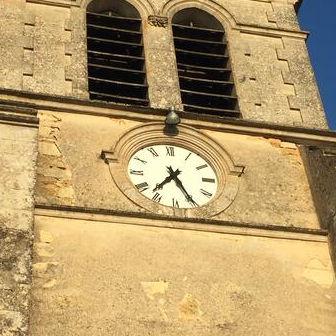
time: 7:25
